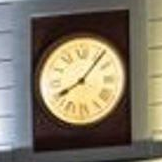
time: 8:06
